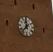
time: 11:37
